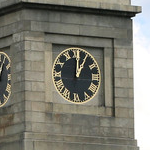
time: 1:00
